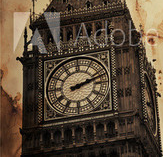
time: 2:11
